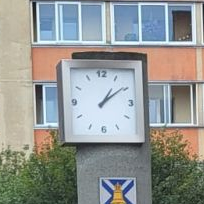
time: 1:09
